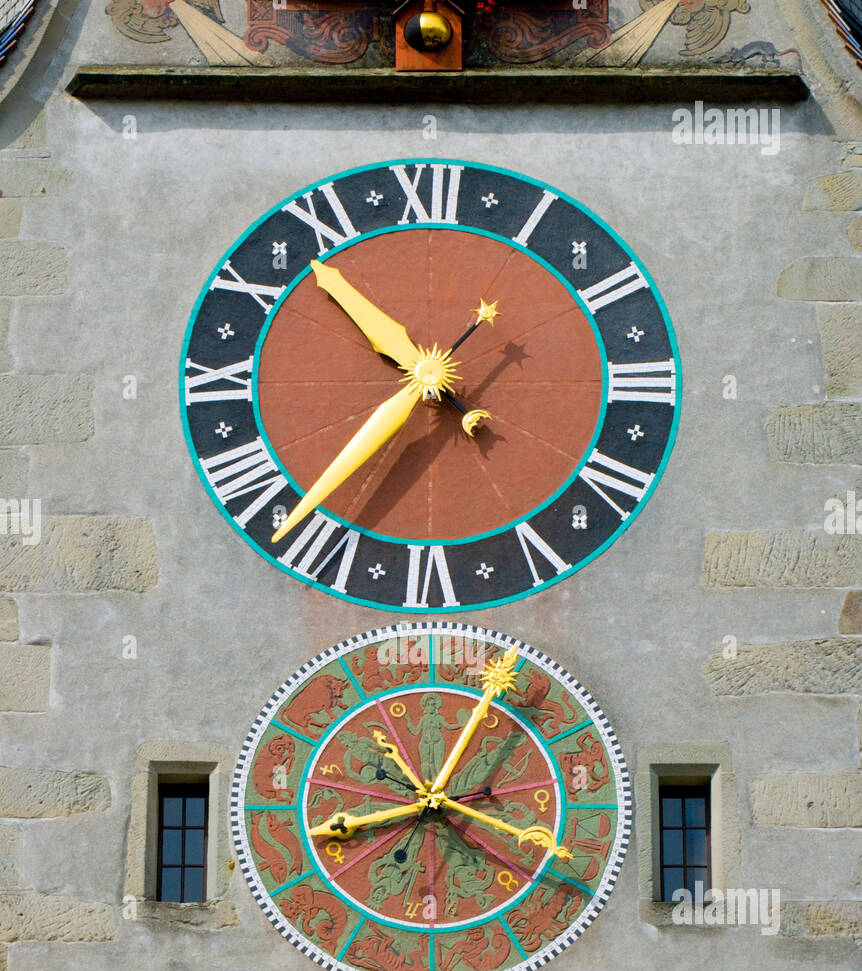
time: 10:36
